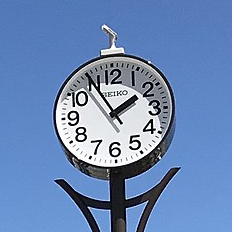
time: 1:55
